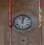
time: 12:02
